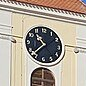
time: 10:37
